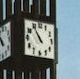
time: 10:54
